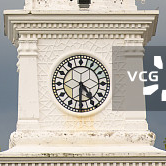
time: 4:30
